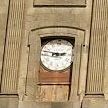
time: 2:47
